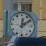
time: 12:09
